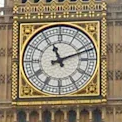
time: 11:11
